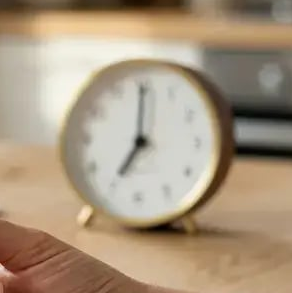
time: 7:00
